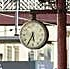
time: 5:35
